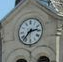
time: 2:36
